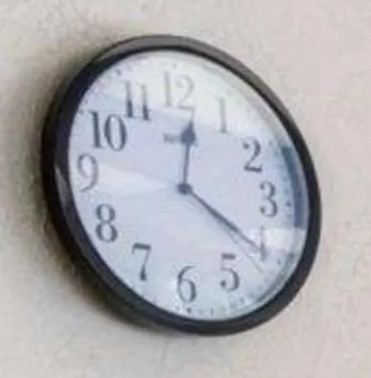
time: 12:20
